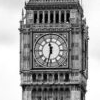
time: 11:32
